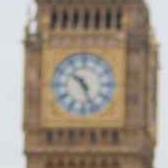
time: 10:26
